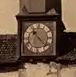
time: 10:22
